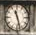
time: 11:27
